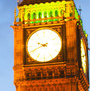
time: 9:41
